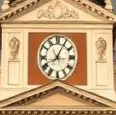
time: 8:04
